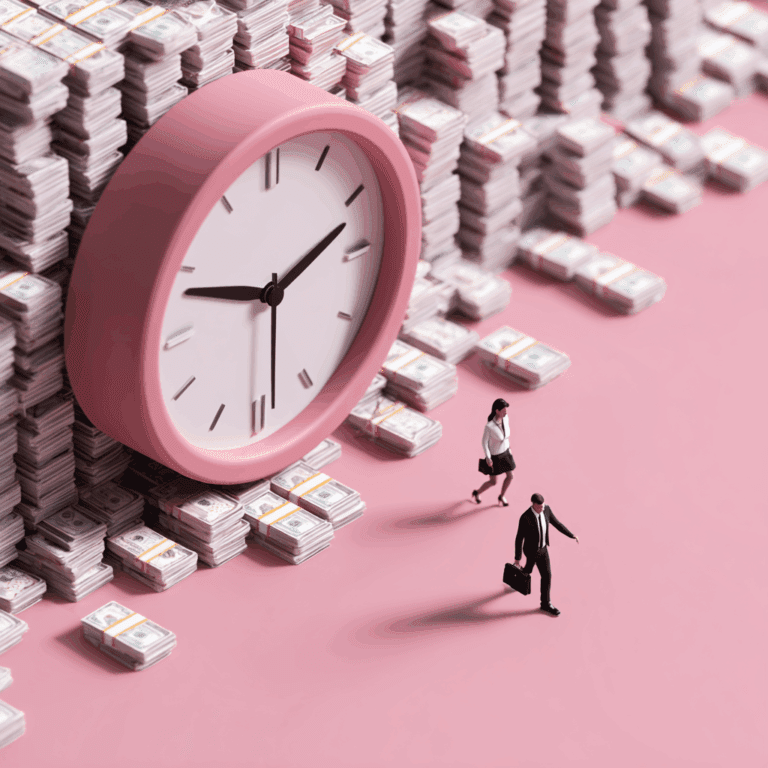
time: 2:48
